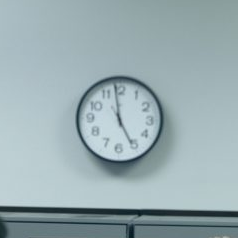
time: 4:58
